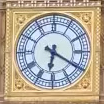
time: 6:20
